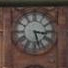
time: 3:27
